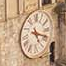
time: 5:18
